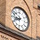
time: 8:40
